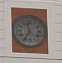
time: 11:35
